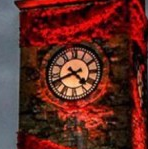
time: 4:41
